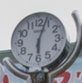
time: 6:03
